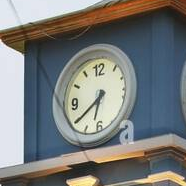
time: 6:39
